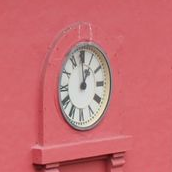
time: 12:59
